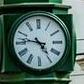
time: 4:46
